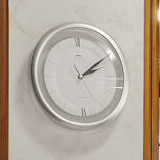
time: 2:09
